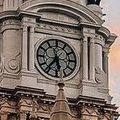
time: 5:36
